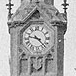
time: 9:22
